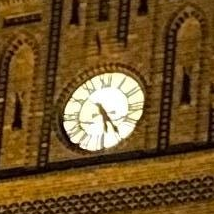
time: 5:24
